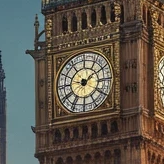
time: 1:46
